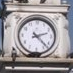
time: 2:22
